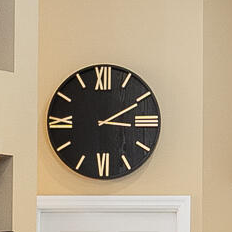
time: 3:10
